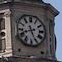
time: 8:26
